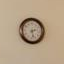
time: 2:27
